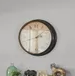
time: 2:29
